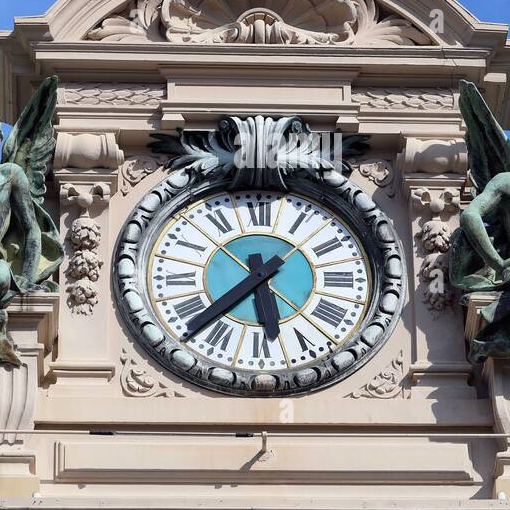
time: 5:37
